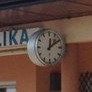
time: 12:09
